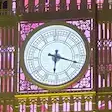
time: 6:18
